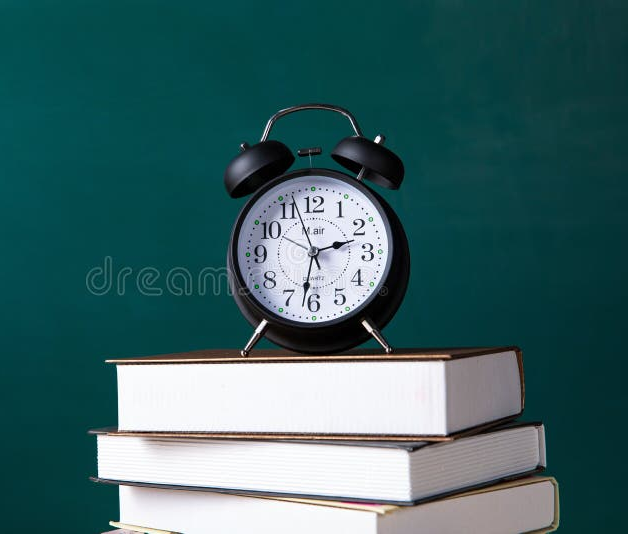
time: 2:32
